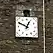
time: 12:49
